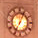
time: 7:04
